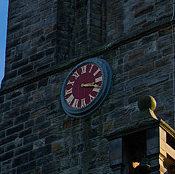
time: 3:18
